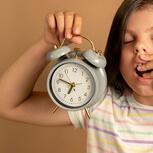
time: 6:47
